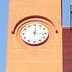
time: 12:16
